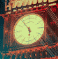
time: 5:54
